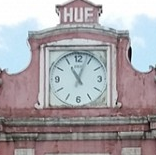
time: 11:03
